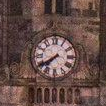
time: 7:39
